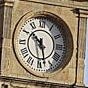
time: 10:27
